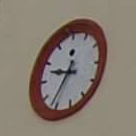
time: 9:36
